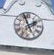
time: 1:56
